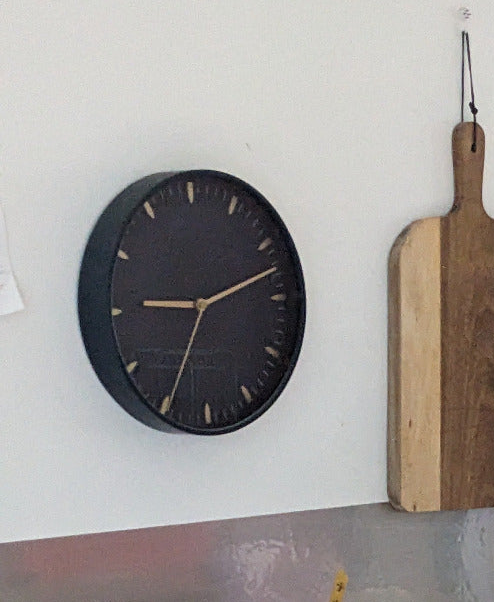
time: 9:12
